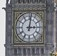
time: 3:01
